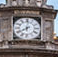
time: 8:01
